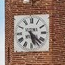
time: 5:21
